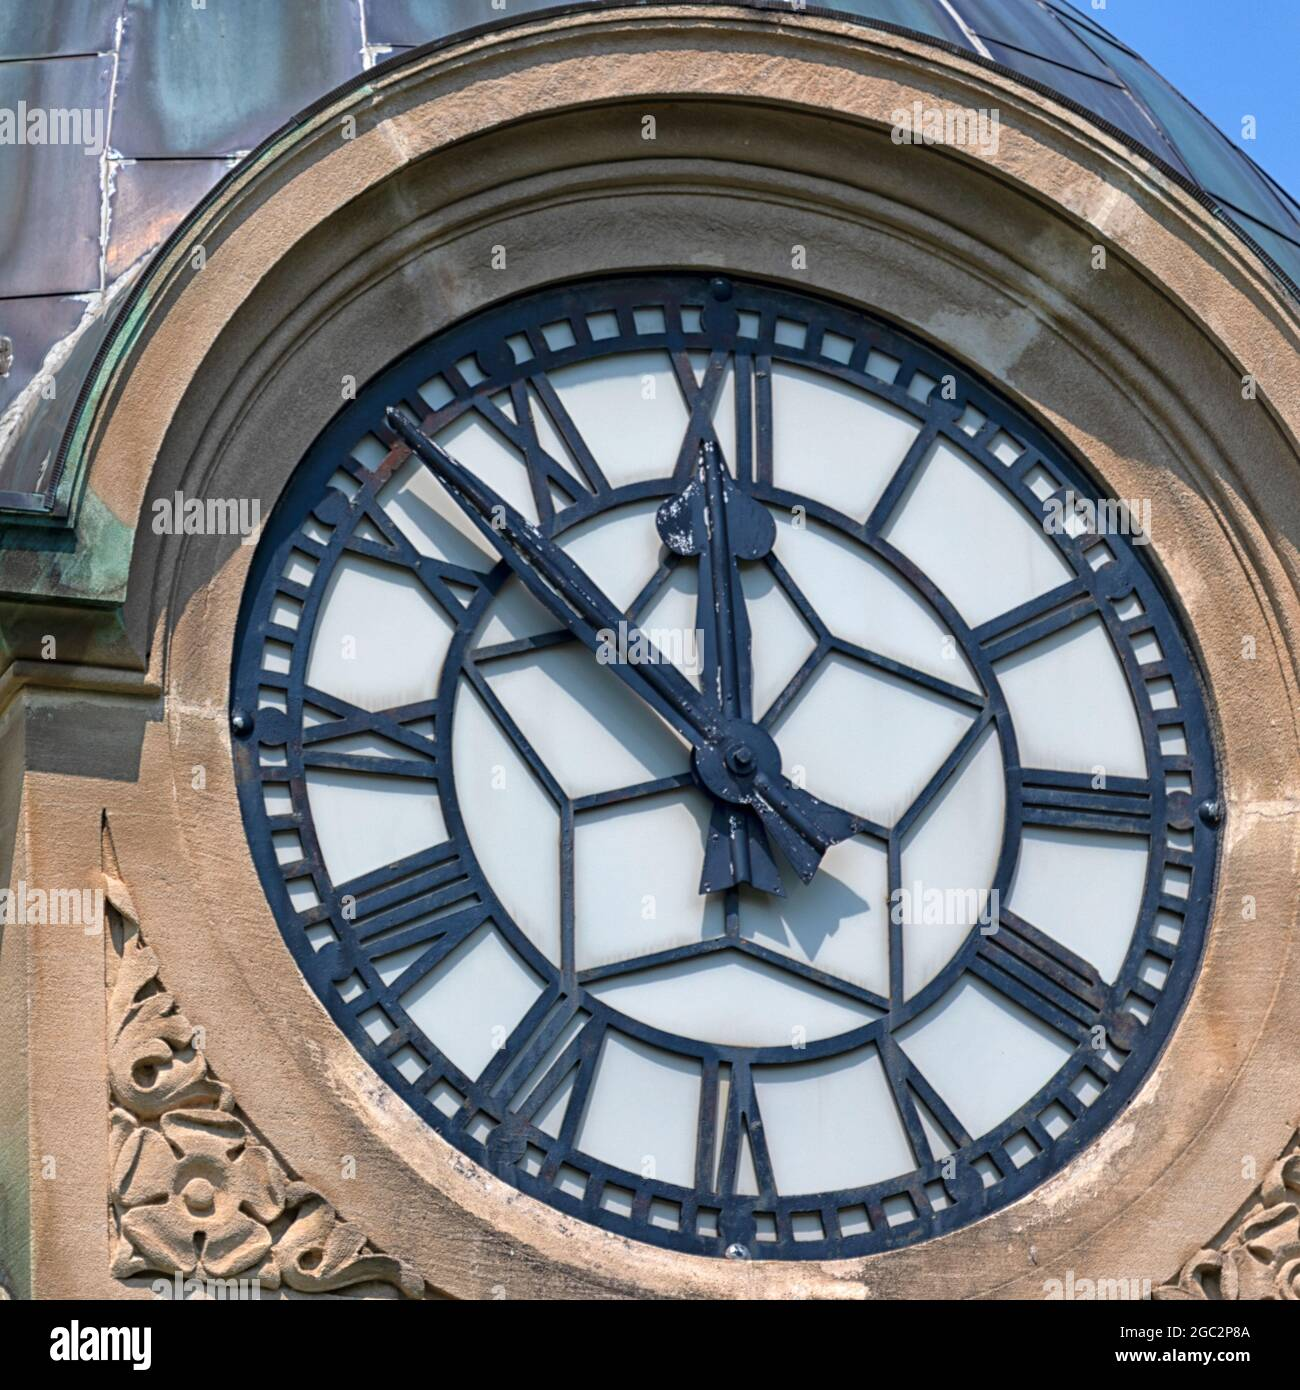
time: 11:52
